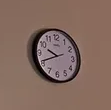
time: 9:41
